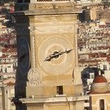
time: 8:12
